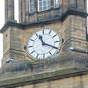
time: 11:19
